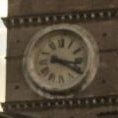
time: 3:20
